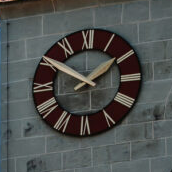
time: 1:50
